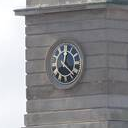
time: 12:21
